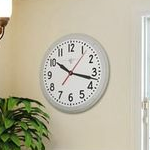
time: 10:17
